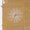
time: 2:34
